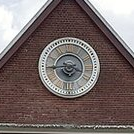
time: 3:44
